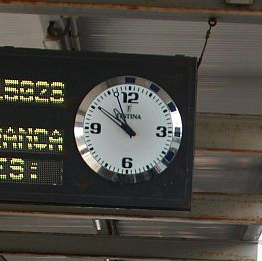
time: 10:50
